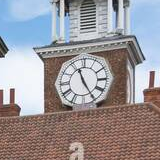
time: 11:25
